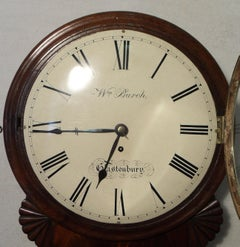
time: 6:44
